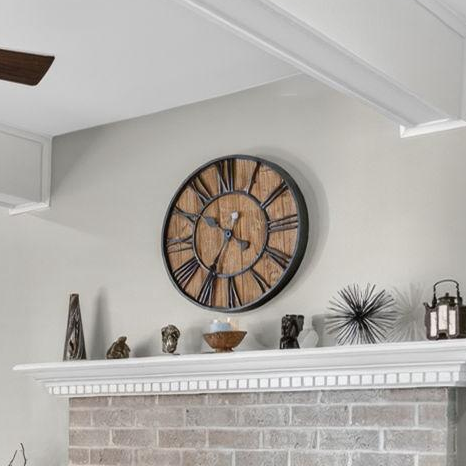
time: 4:35
